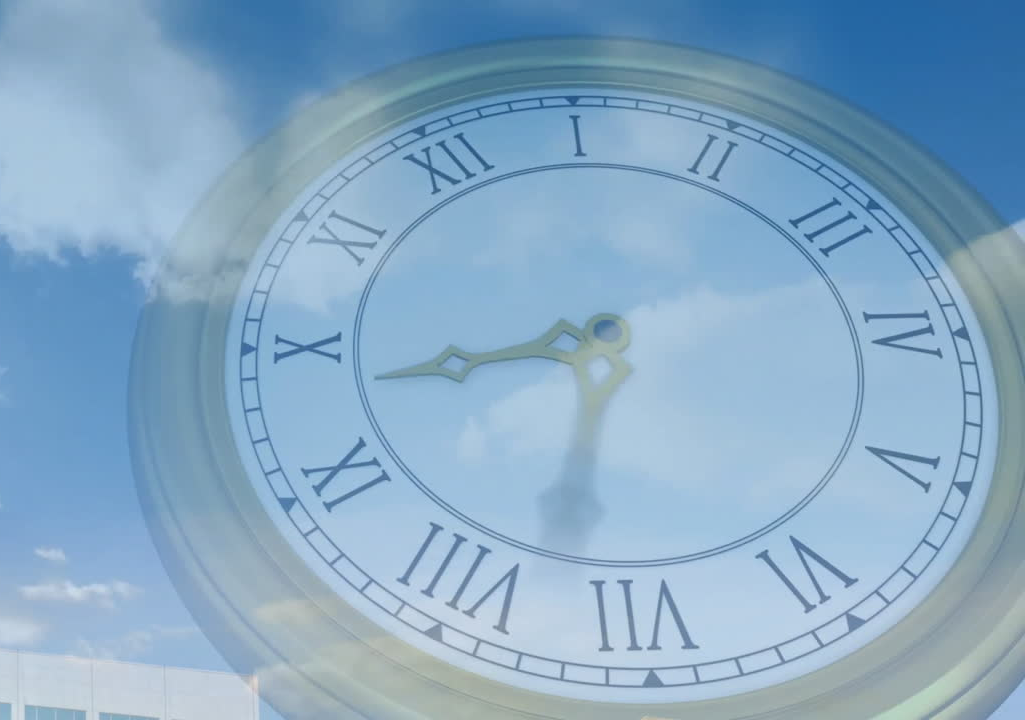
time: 8:32
